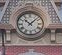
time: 10:07
